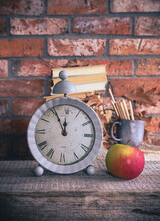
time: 11:55
